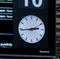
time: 2:44
